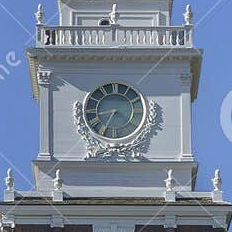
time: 8:34
